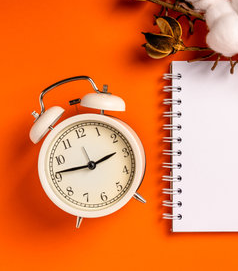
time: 2:46
